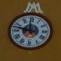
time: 11:47
